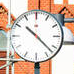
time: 10:22
